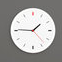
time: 1:45
